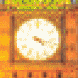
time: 4:17
